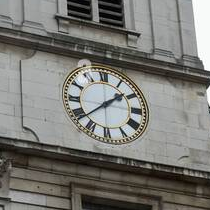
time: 1:38
